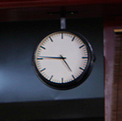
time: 4:45
